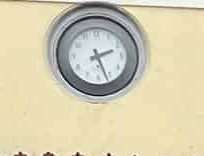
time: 2:26
